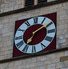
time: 7:09
